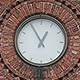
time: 12:55
